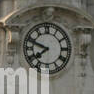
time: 7:48
